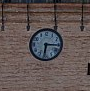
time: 6:15
